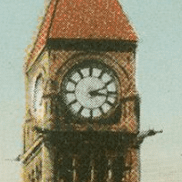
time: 2:16
